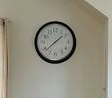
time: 1:38
